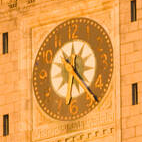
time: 12:23
